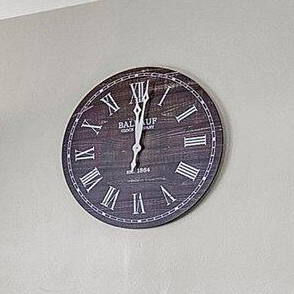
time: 12:01
